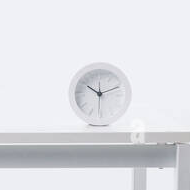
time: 10:11
